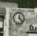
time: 12:22
